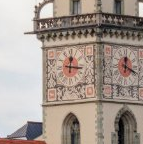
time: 12:16
